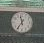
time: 11:36
